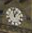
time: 12:57
